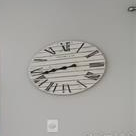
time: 8:14
